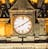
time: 8:09
